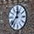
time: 12:37
